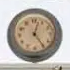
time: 12:24
